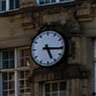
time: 5:15
